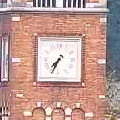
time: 7:34
